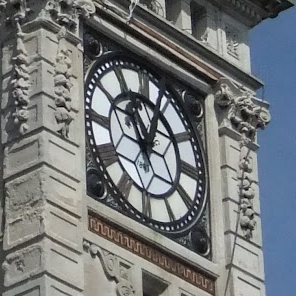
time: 11:03
